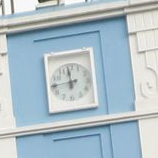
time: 11:44
